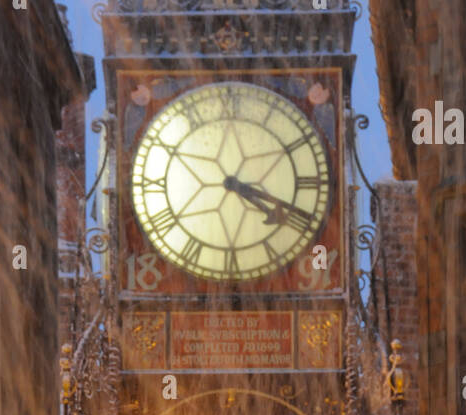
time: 4:18
